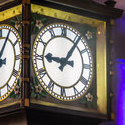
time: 9:06
